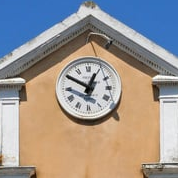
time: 12:50
